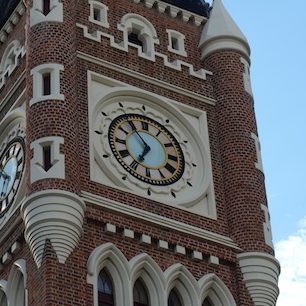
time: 6:54
